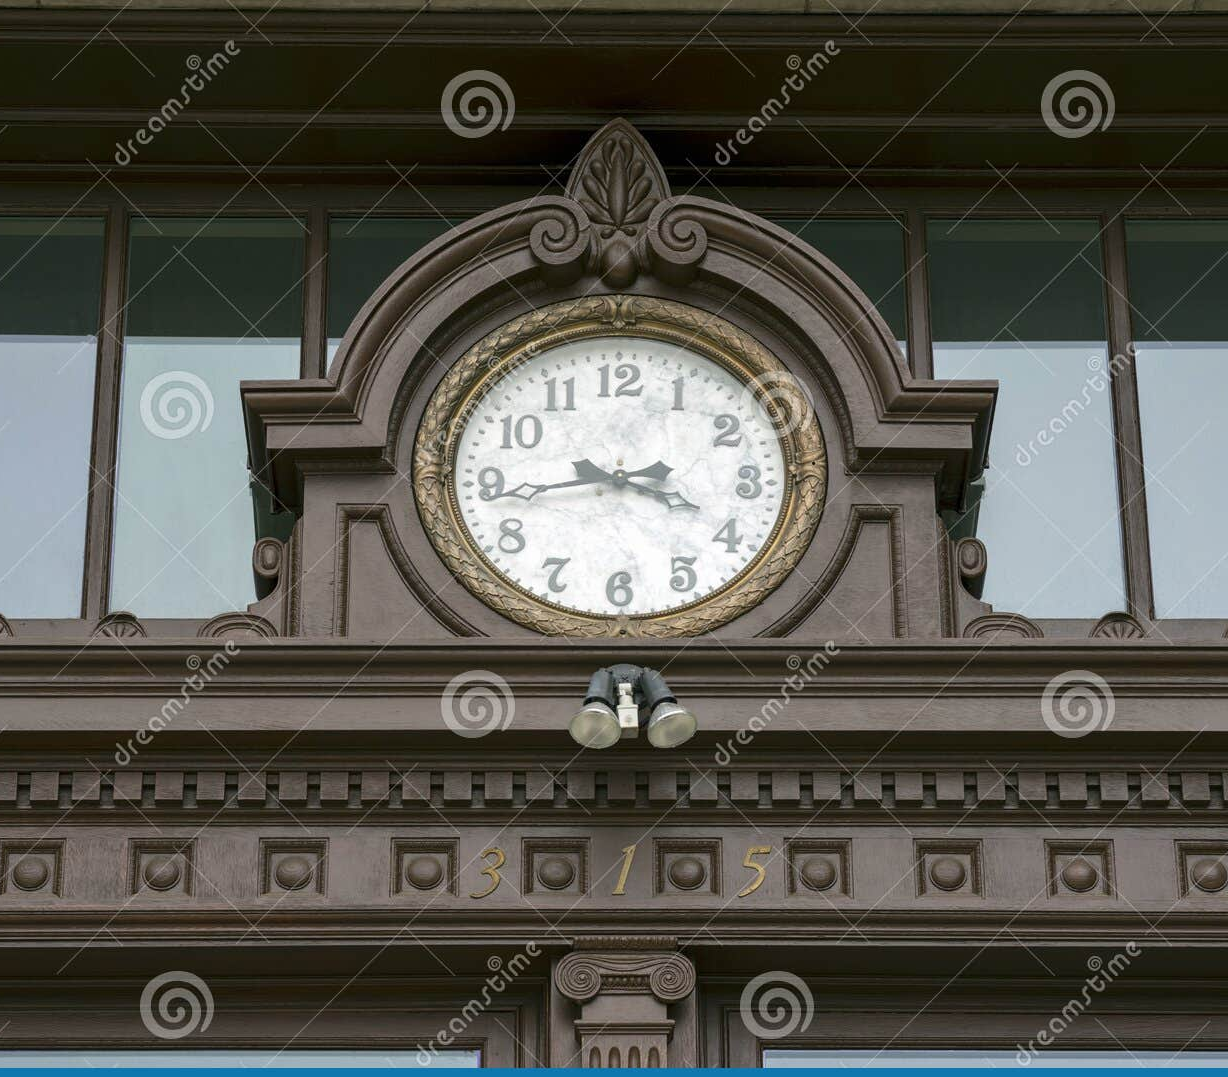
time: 3:43
